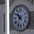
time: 10:33
